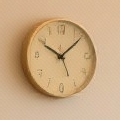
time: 10:08
